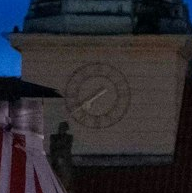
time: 7:40
